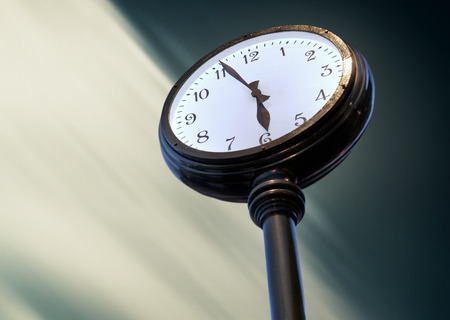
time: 5:55
